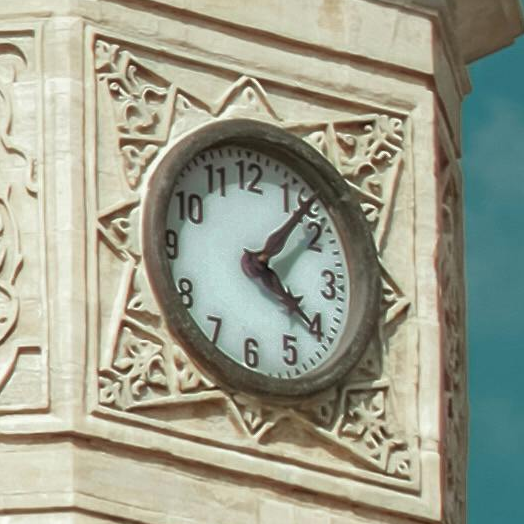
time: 4:07
